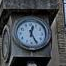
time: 12:25
